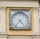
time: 4:36
